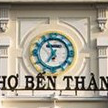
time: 6:56
